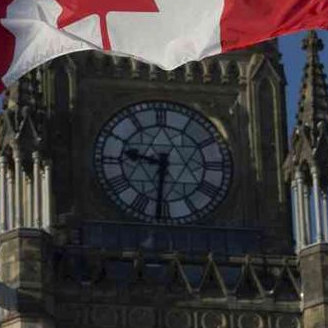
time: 9:31
